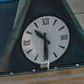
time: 10:30
